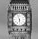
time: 5:57
